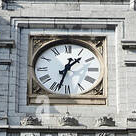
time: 1:32
